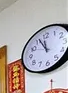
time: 11:55
